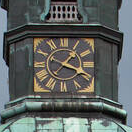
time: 1:18
